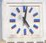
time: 5:01
